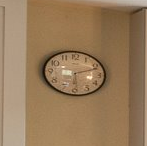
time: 6:11
